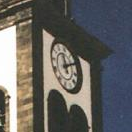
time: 11:10
